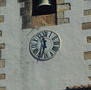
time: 11:32
